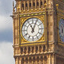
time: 11:03
